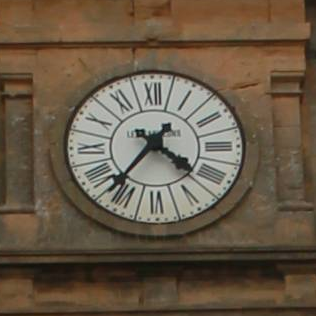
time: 4:36
